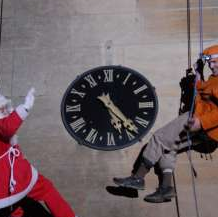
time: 5:23
